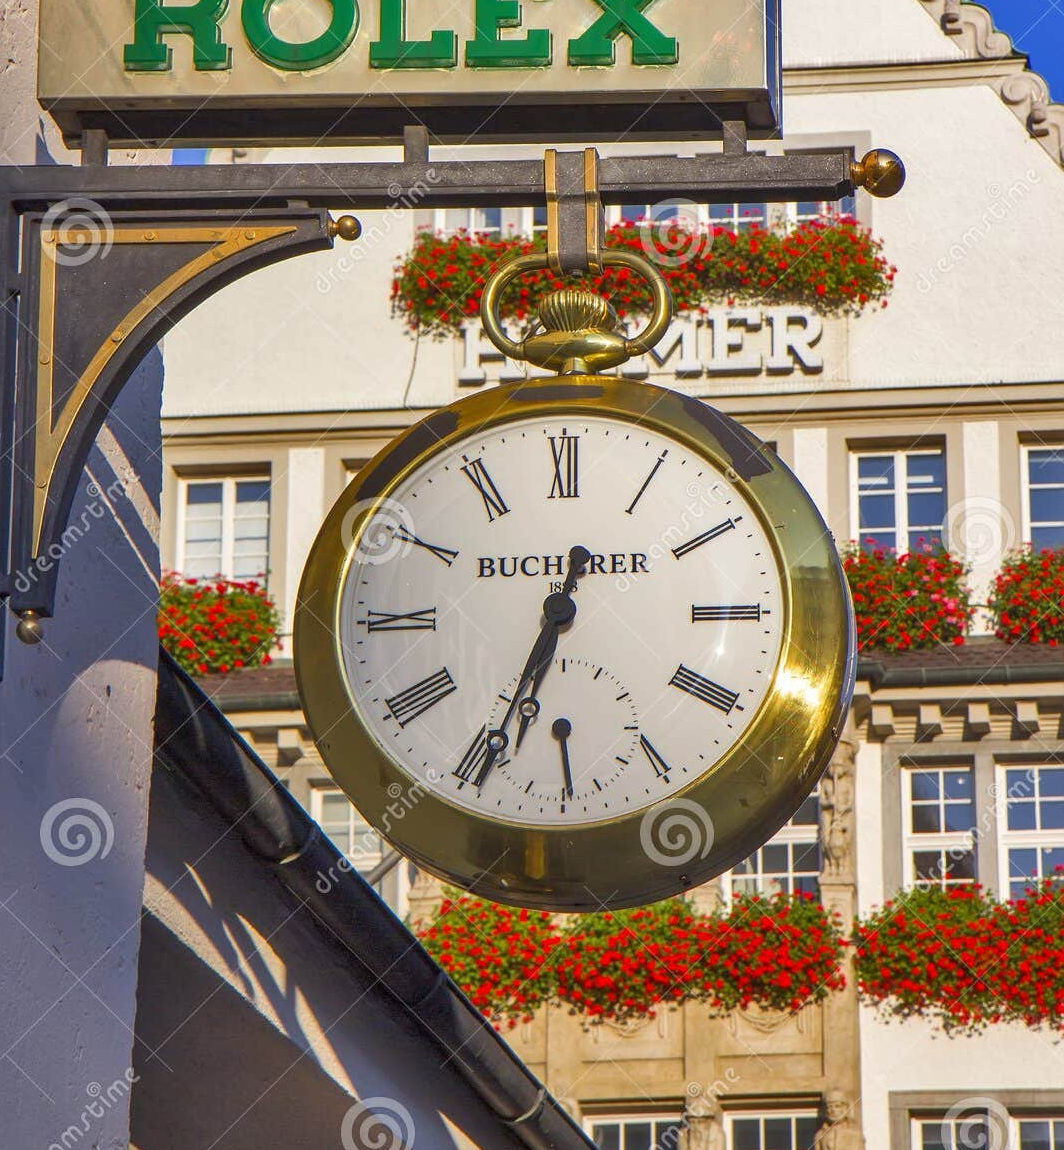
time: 12:33
